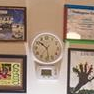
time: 10:28
